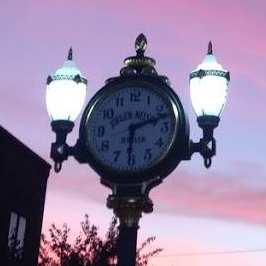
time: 6:11
